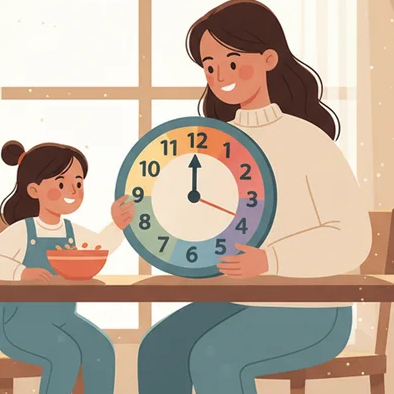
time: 11:59
